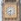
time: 8:32
